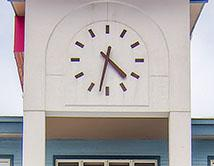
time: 4:32
